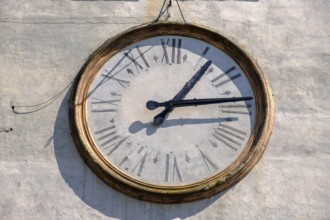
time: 1:13
